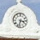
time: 3:32
